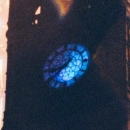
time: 8:38
